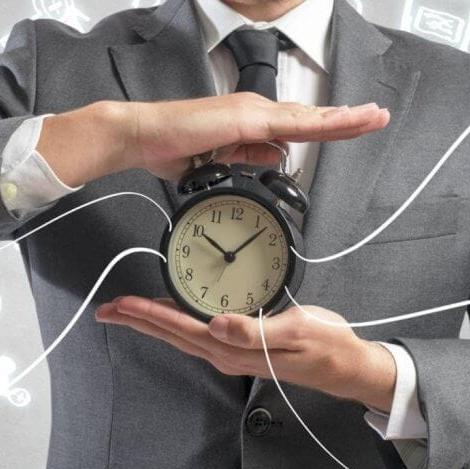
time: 10:07
